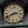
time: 2:40
